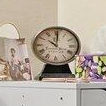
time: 10:00
